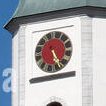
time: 5:24
